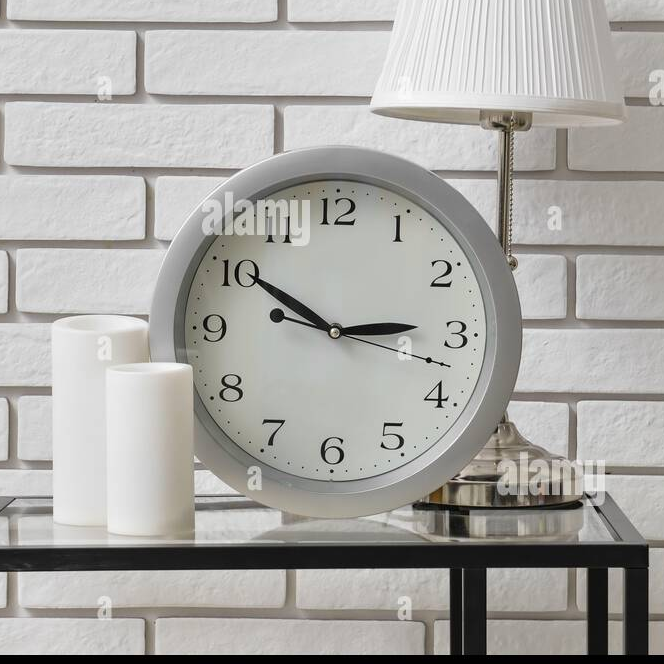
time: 2:50
